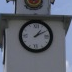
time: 1:09
